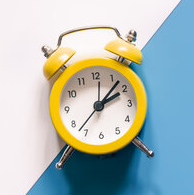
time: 2:07
